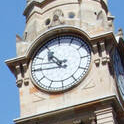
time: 10:45
